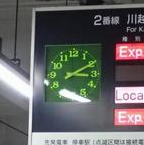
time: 3:10
